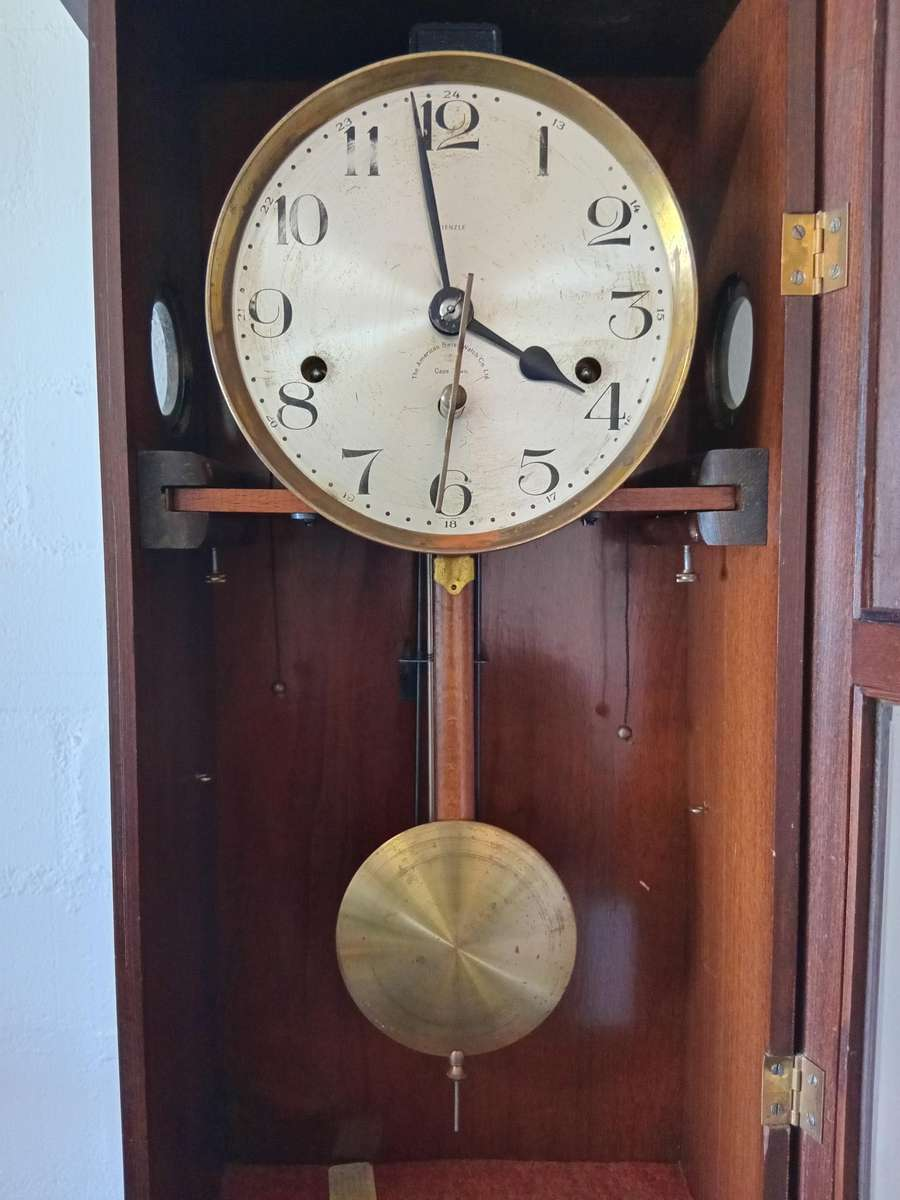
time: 3:58
